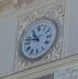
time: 10:47
